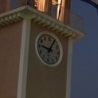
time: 9:04
